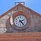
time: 2:23
